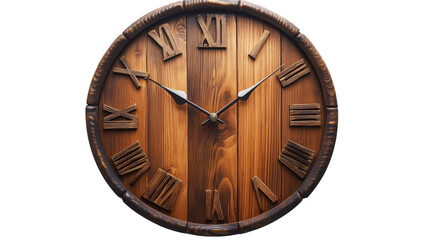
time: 1:50
